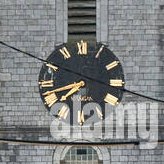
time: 7:42
